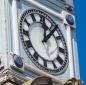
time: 12:06
